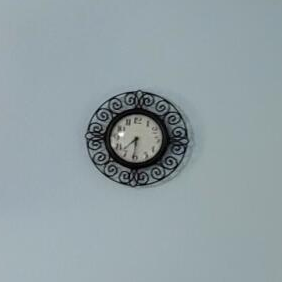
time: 7:31
